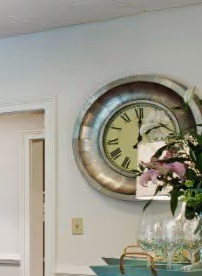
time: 2:01
